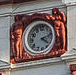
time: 4:12
